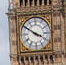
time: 3:50
